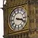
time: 3:18
